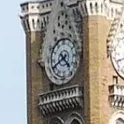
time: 4:40
